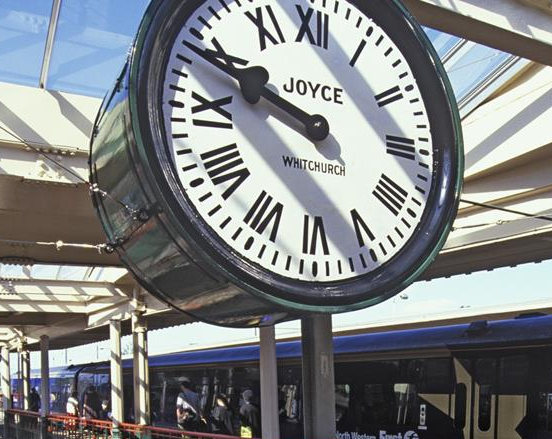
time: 9:48
